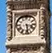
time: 3:28
